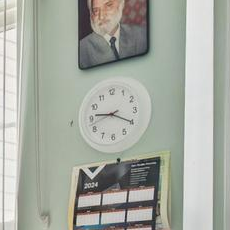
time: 9:19
